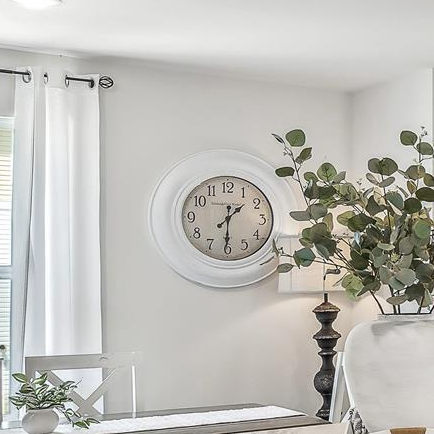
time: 1:30
